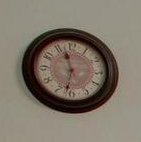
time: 11:31
